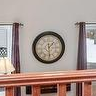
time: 1:29
